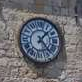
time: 1:23
